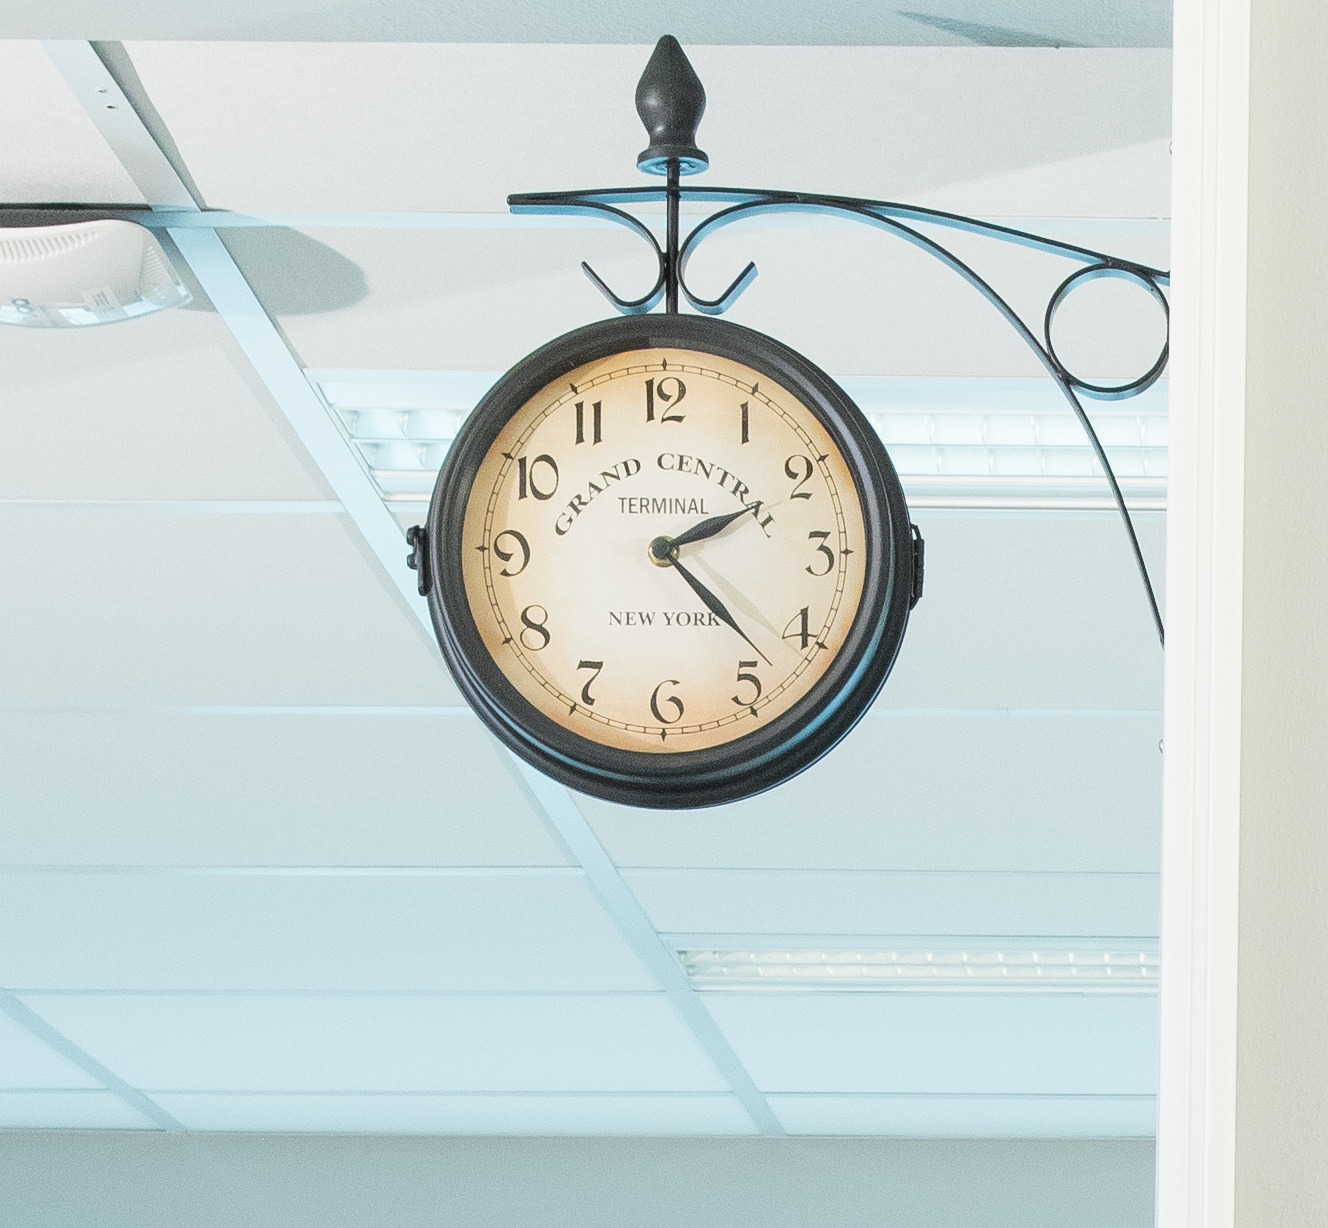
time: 2:22
